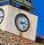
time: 2:23
